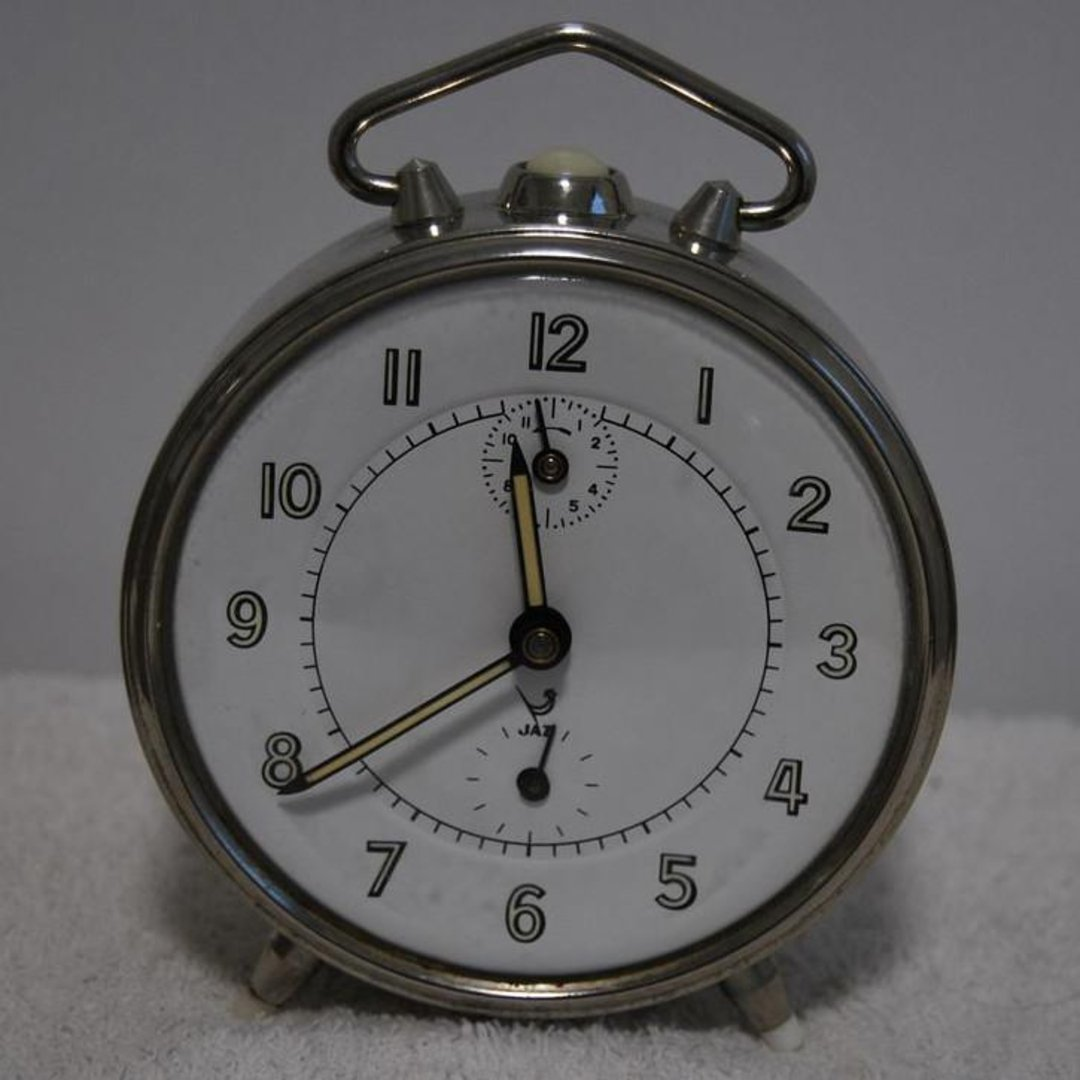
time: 11:39
